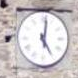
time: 5:01
